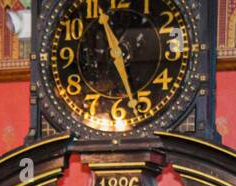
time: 11:26
